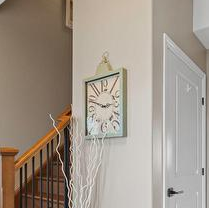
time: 2:48
